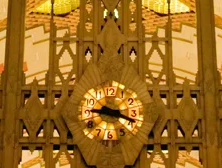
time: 9:18
